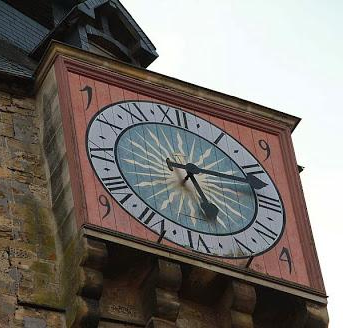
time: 5:12
